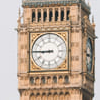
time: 8:45
